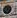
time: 11:37
